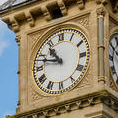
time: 10:47
